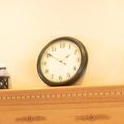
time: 1:50
